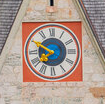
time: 7:49
